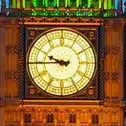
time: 9:44
